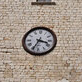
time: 3:34
